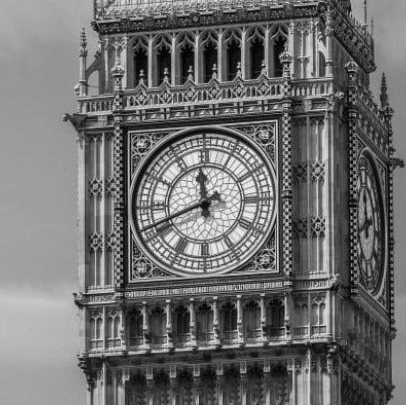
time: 11:41
